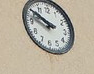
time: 9:50
